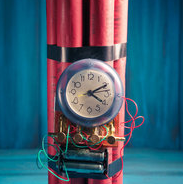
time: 4:10
